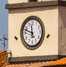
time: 11:48
